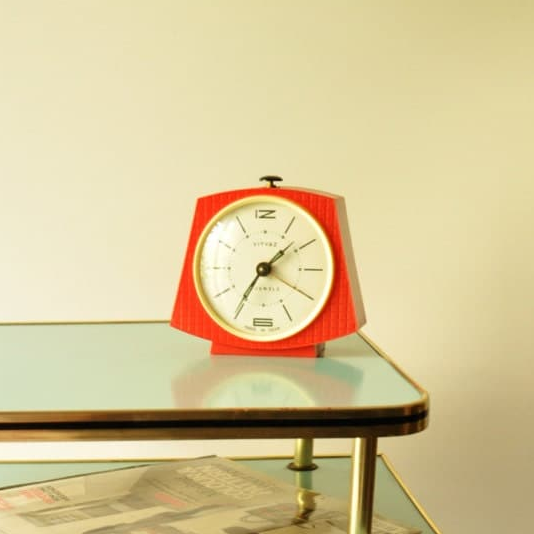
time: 1:35
